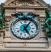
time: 5:05
